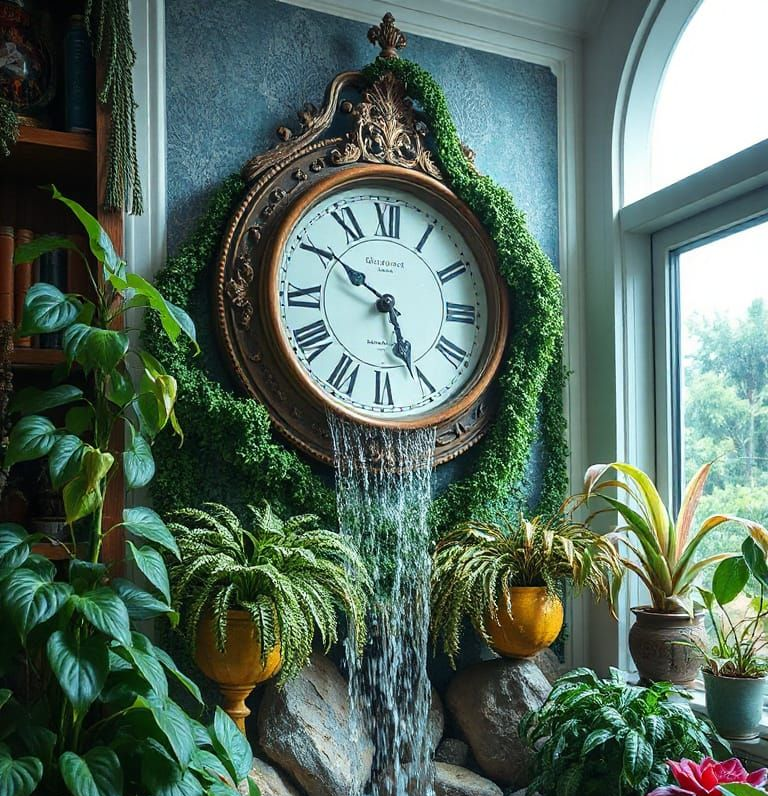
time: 4:50
